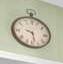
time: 9:28
